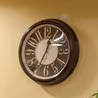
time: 12:34
